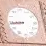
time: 8:44
